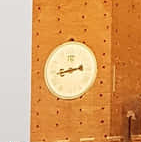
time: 8:43
